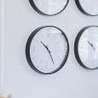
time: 10:24
